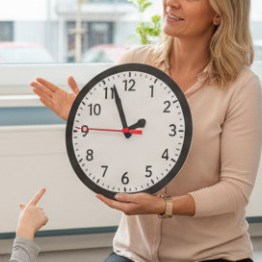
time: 1:56
